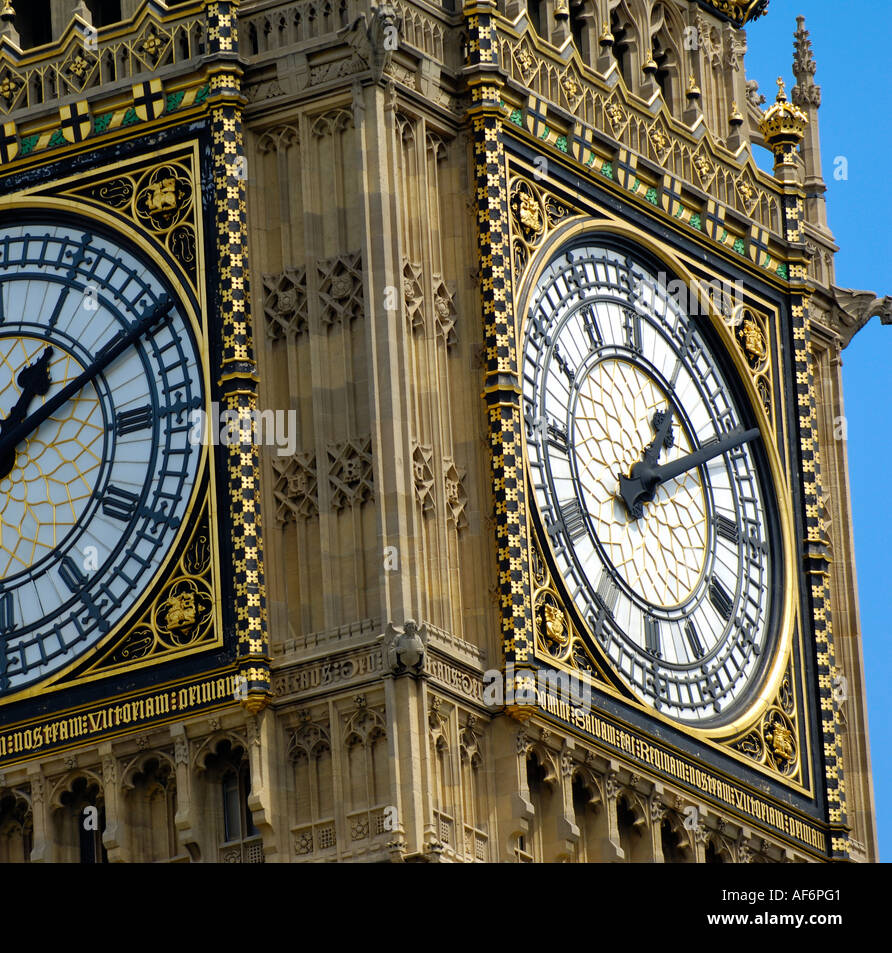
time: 1:09
